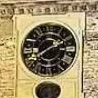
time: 1:39
